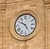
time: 4:50
